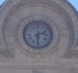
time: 2:29
